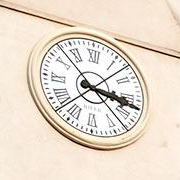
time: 3:17
